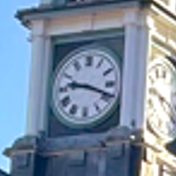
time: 9:18
